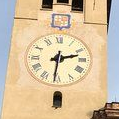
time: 2:31
